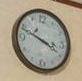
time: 3:48
